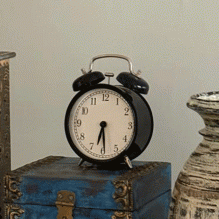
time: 6:29
